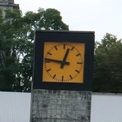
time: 12:46
